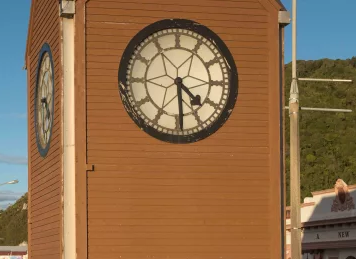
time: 4:29
